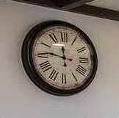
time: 11:46
